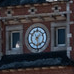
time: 1:28
